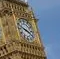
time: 3:48
